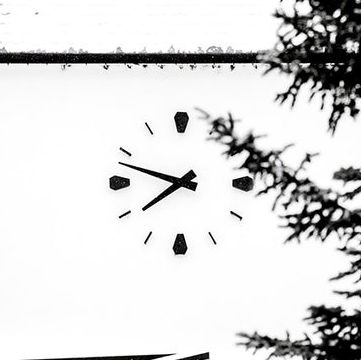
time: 7:48
